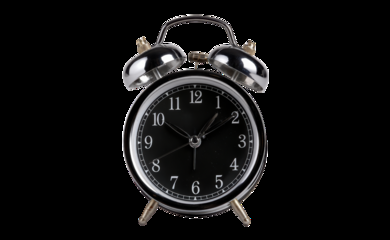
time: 1:09
